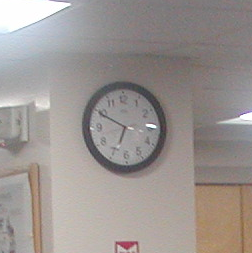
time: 6:49
